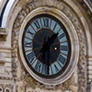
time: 1:30
